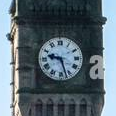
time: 9:27
